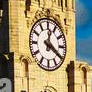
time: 12:20
